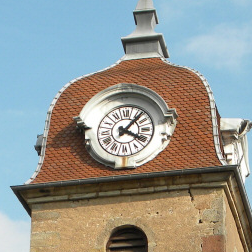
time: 4:07
